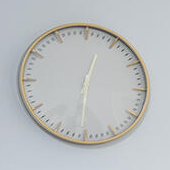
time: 12:30
